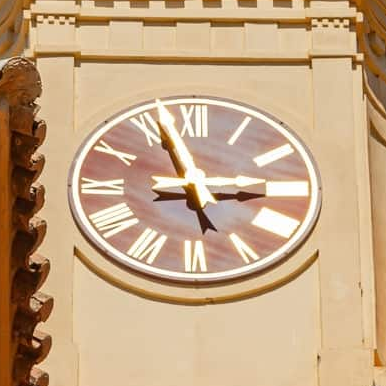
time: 2:56
